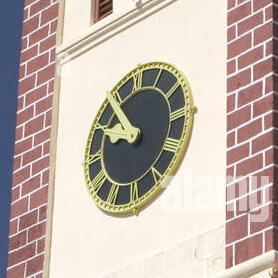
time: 9:53
